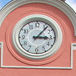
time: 3:06
